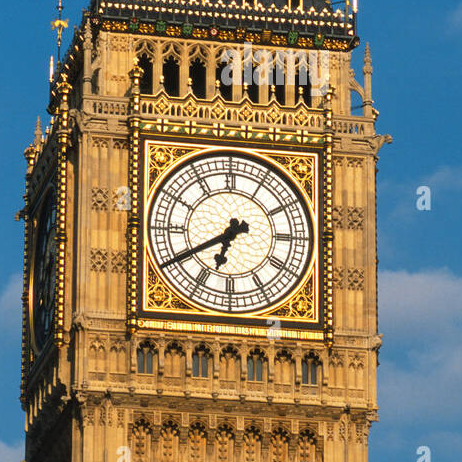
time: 6:40
